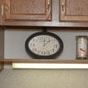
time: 12:07
